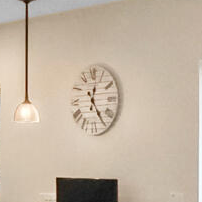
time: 12:24
